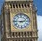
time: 2:46
